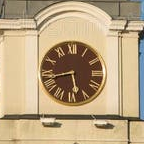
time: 5:43
